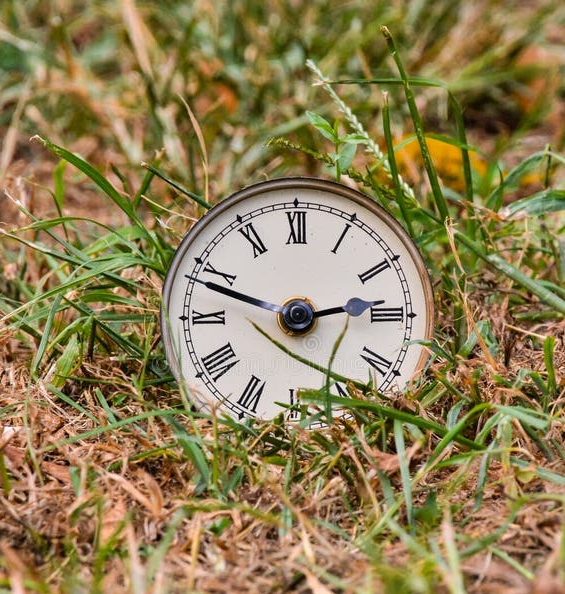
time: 2:48
